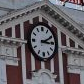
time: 3:10
